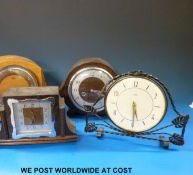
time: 5:29
